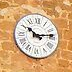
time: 10:13
